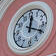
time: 12:19
